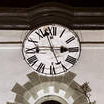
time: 2:57
